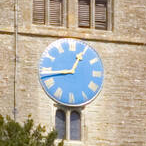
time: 12:43
